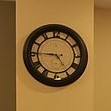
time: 4:45
